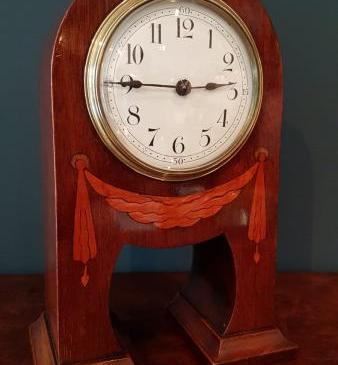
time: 2:45
